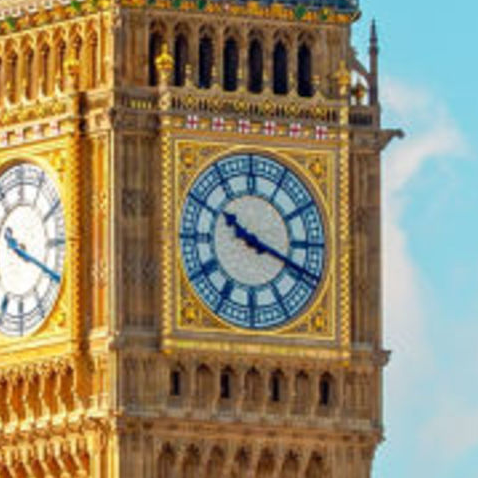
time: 10:18
